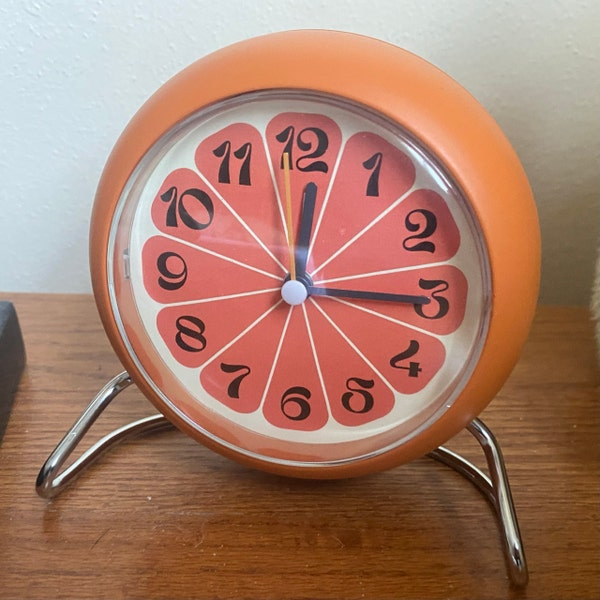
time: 12:15
